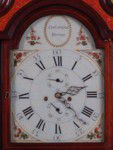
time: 4:12
